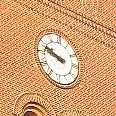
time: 9:48
